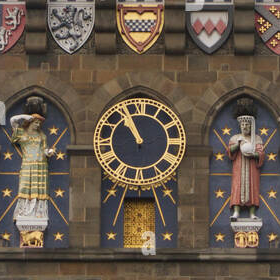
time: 10:55
